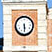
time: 5:29
